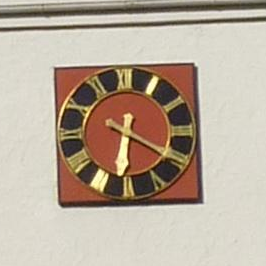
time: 6:19
